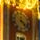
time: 4:22
